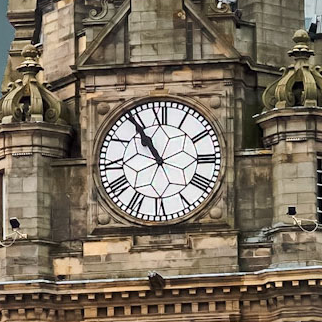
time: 10:54
